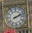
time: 2:11
